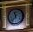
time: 11:37
